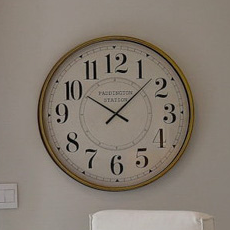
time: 10:07
